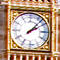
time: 2:07
